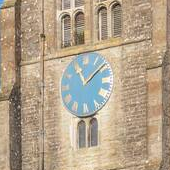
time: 11:08
